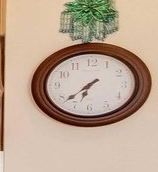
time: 6:37
